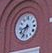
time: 8:36
